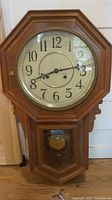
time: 8:14
